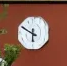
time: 5:49
